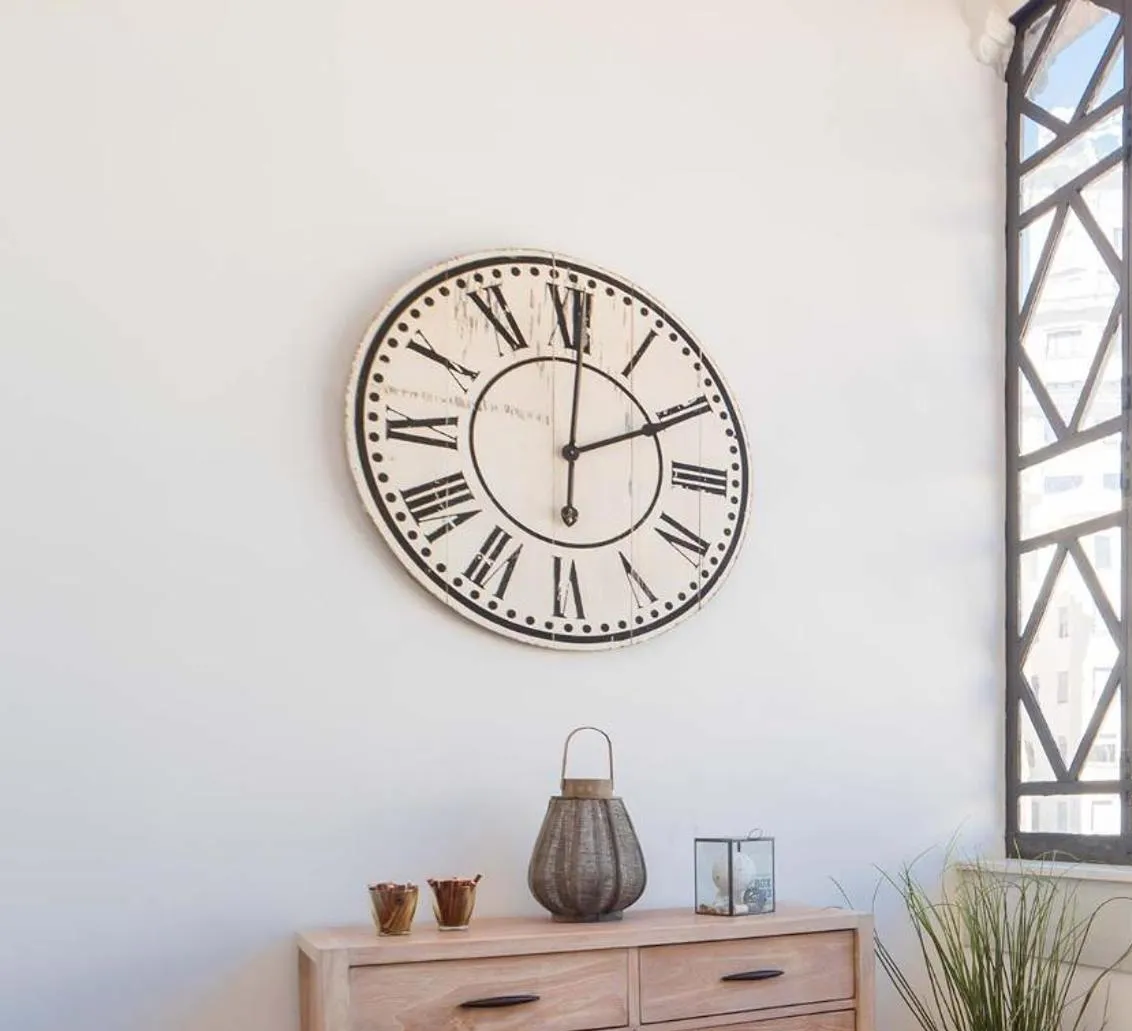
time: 2:00
